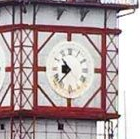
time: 10:37
